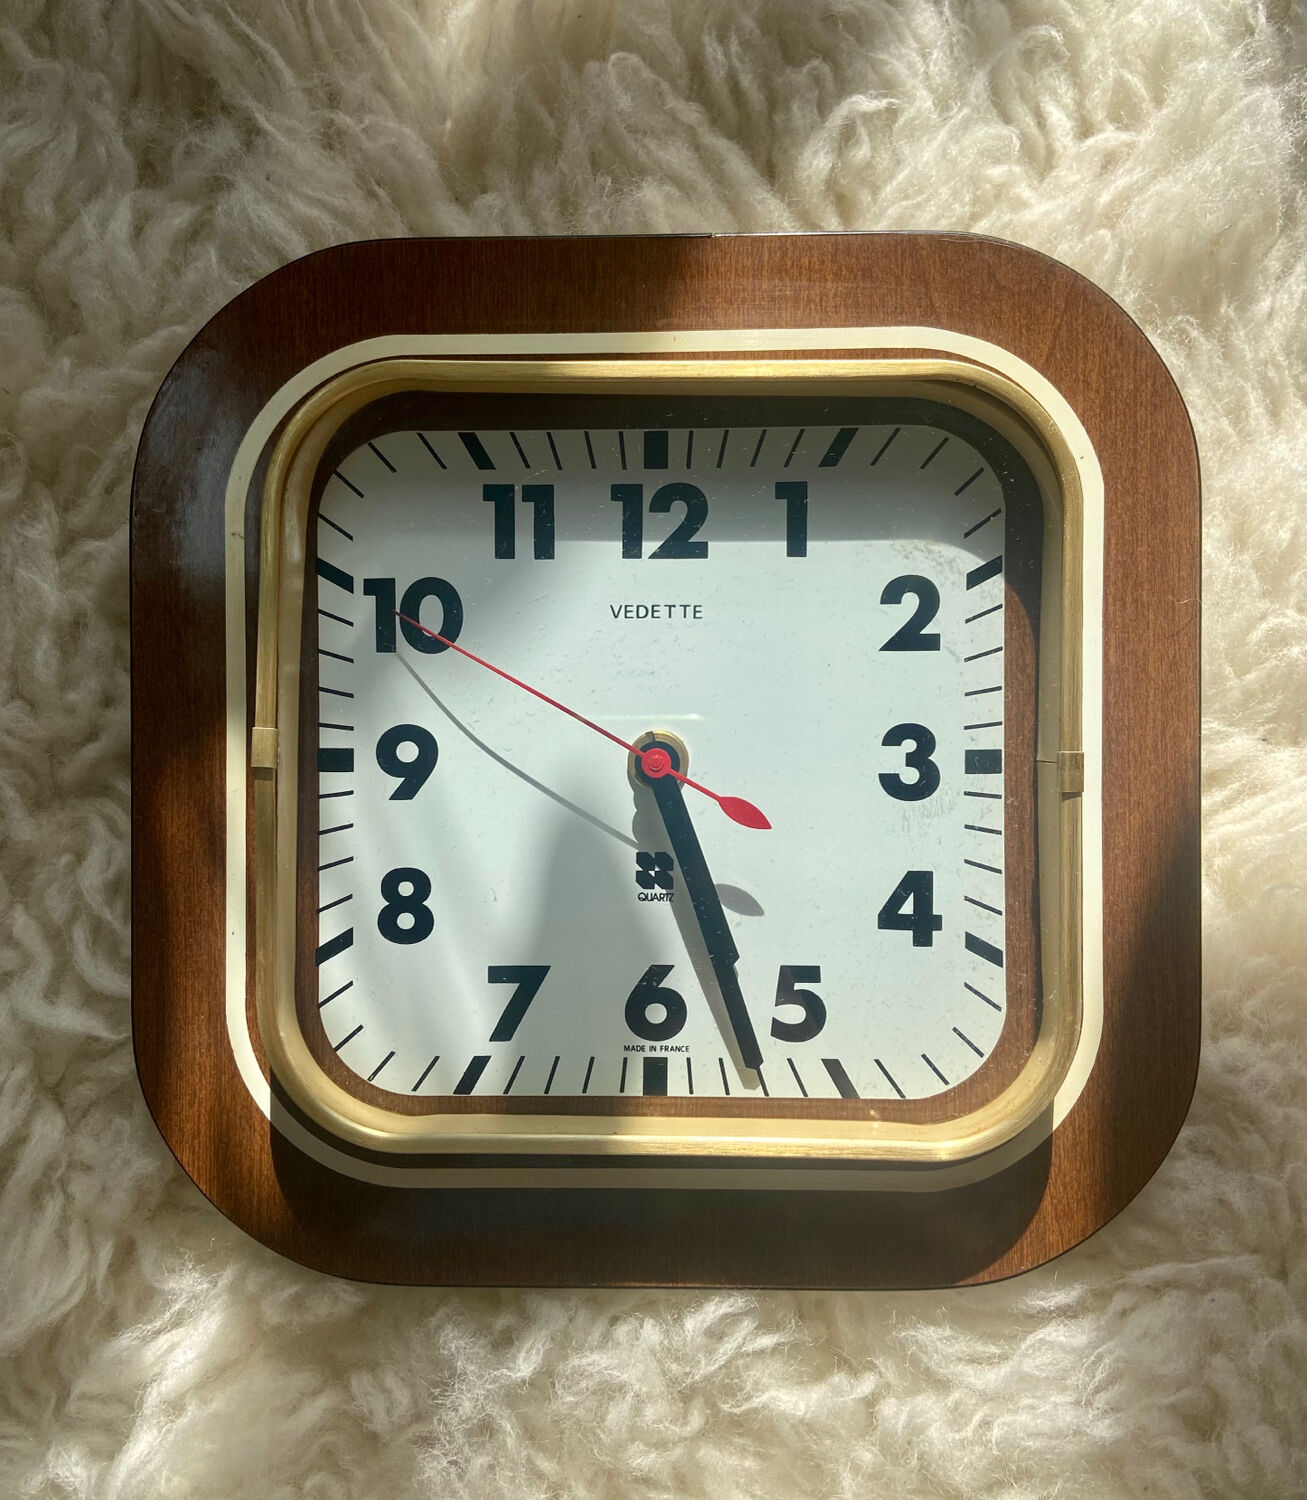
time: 5:26
